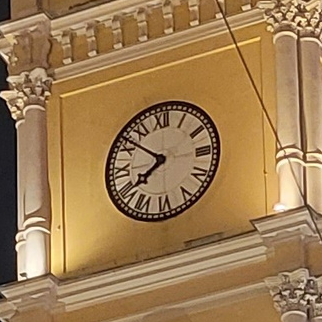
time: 7:51
